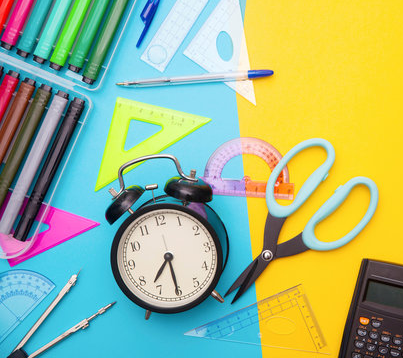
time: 7:30
